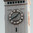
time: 8:07
